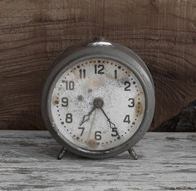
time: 7:24
